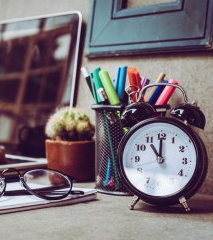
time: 11:00
